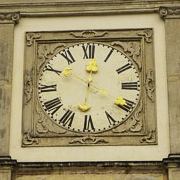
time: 12:20
